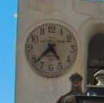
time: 4:37
